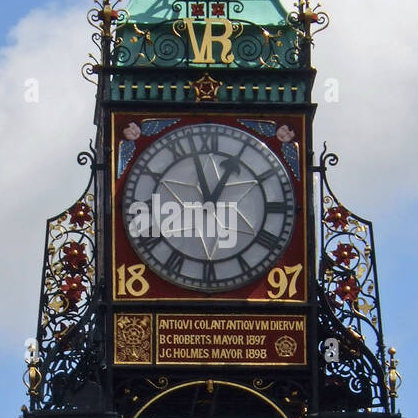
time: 12:57
